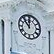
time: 11:52
